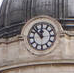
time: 11:52
